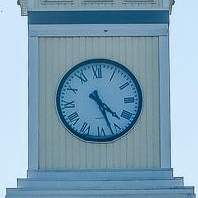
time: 4:26
